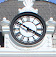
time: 3:50
